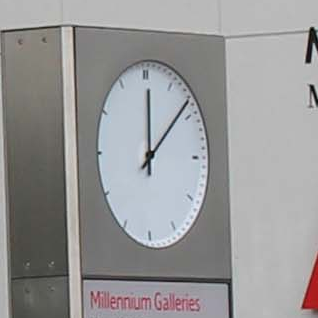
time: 12:08
